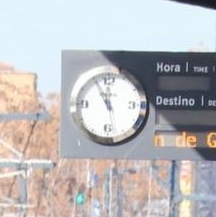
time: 11:55
